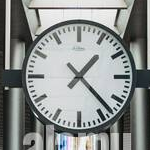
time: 1:22
